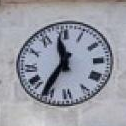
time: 11:35
